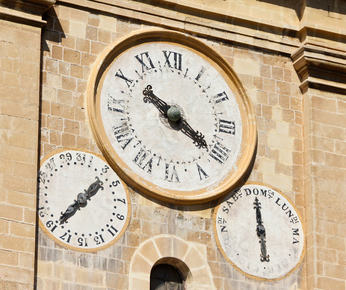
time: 10:20
